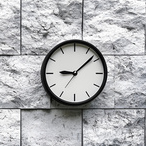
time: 9:08
